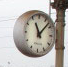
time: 11:07
